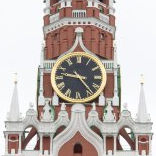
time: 9:23
